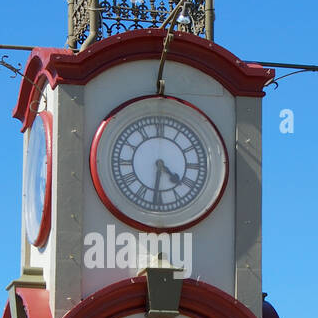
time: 4:31
